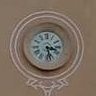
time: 3:27
